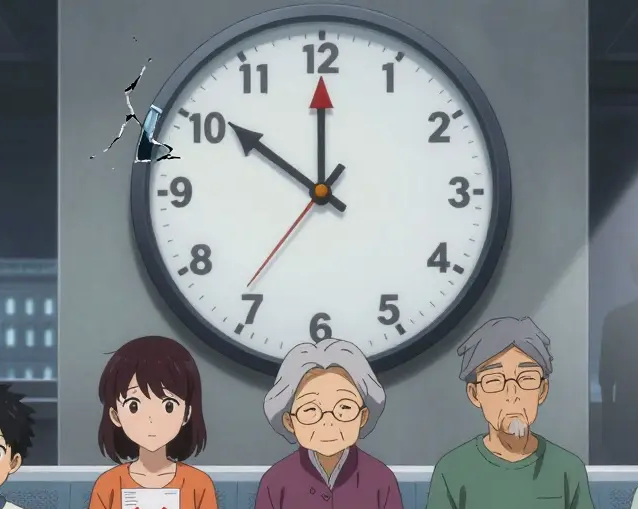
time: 11:50
